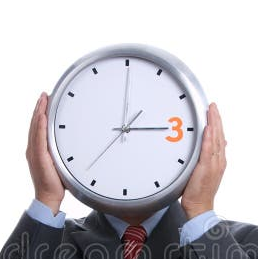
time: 3:00
